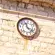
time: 11:21
